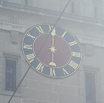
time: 6:00
